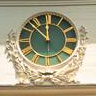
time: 11:52
